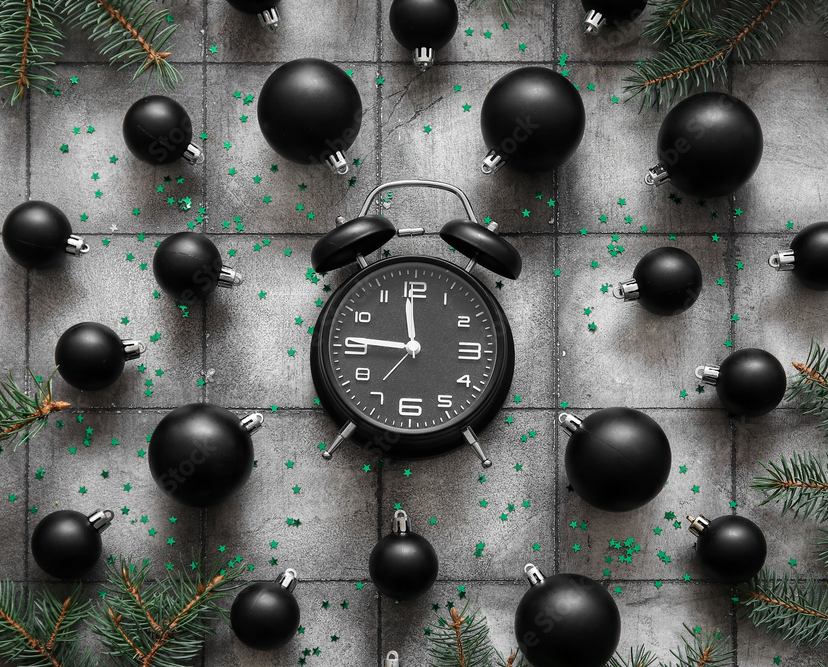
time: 11:46
